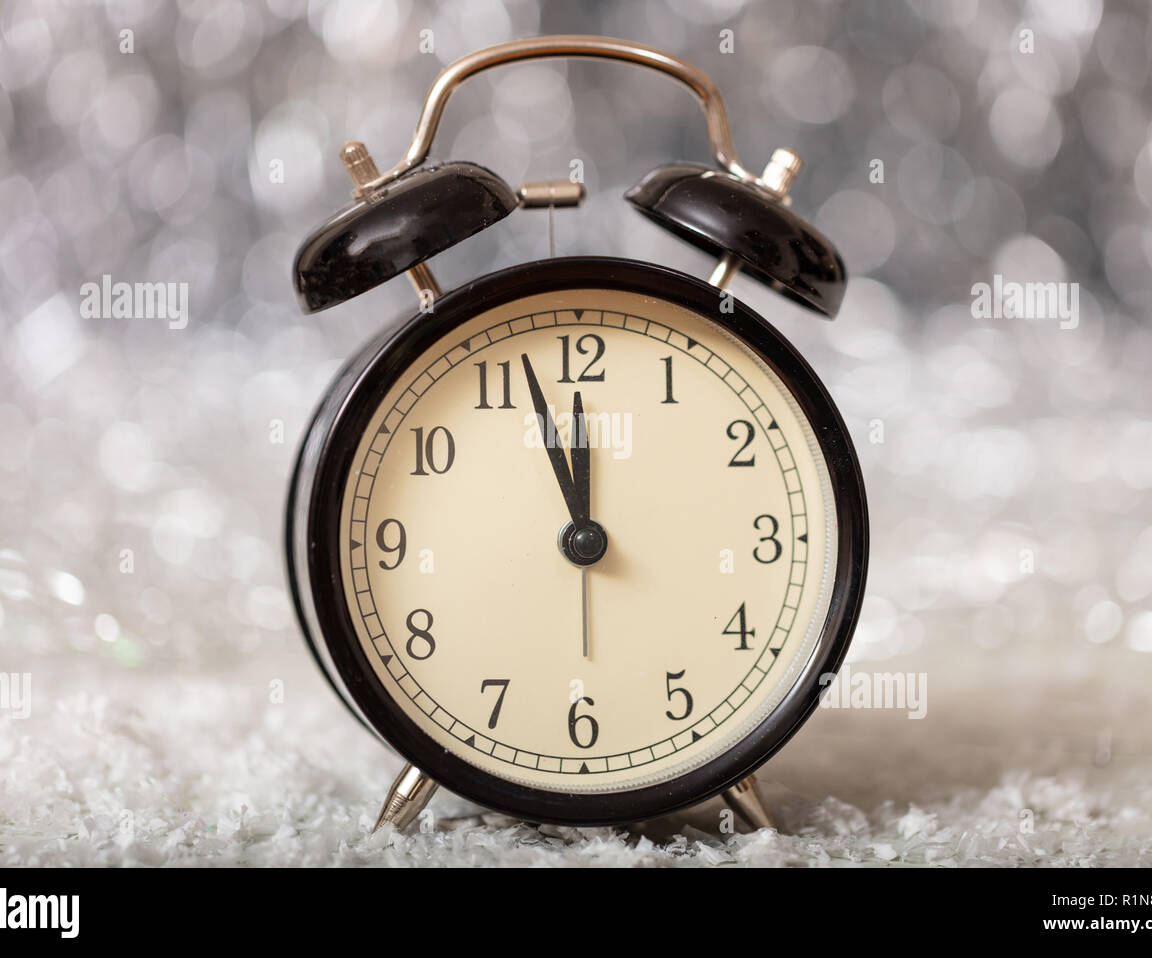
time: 11:57
